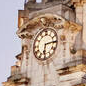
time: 6:14
